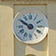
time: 9:50
